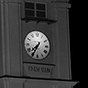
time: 7:34
